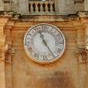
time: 11:24
